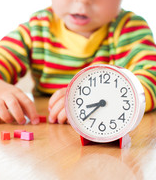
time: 8:38
